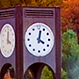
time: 4:02
